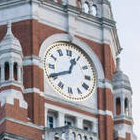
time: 12:40
